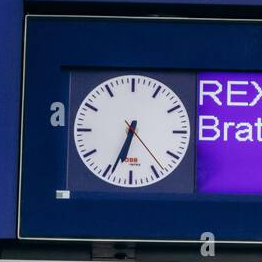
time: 6:34
